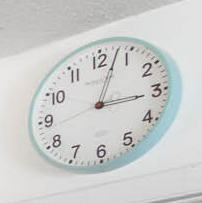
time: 3:02
